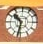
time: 10:32
